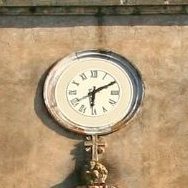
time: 6:10
